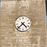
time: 4:37
